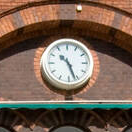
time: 10:26
